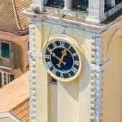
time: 12:49
